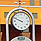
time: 9:49
